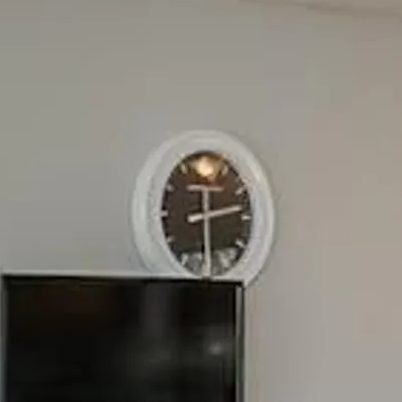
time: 2:29
